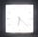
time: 6:21
